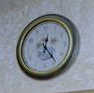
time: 12:24
